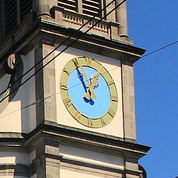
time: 12:55
